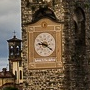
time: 9:20
